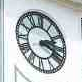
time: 2:18
